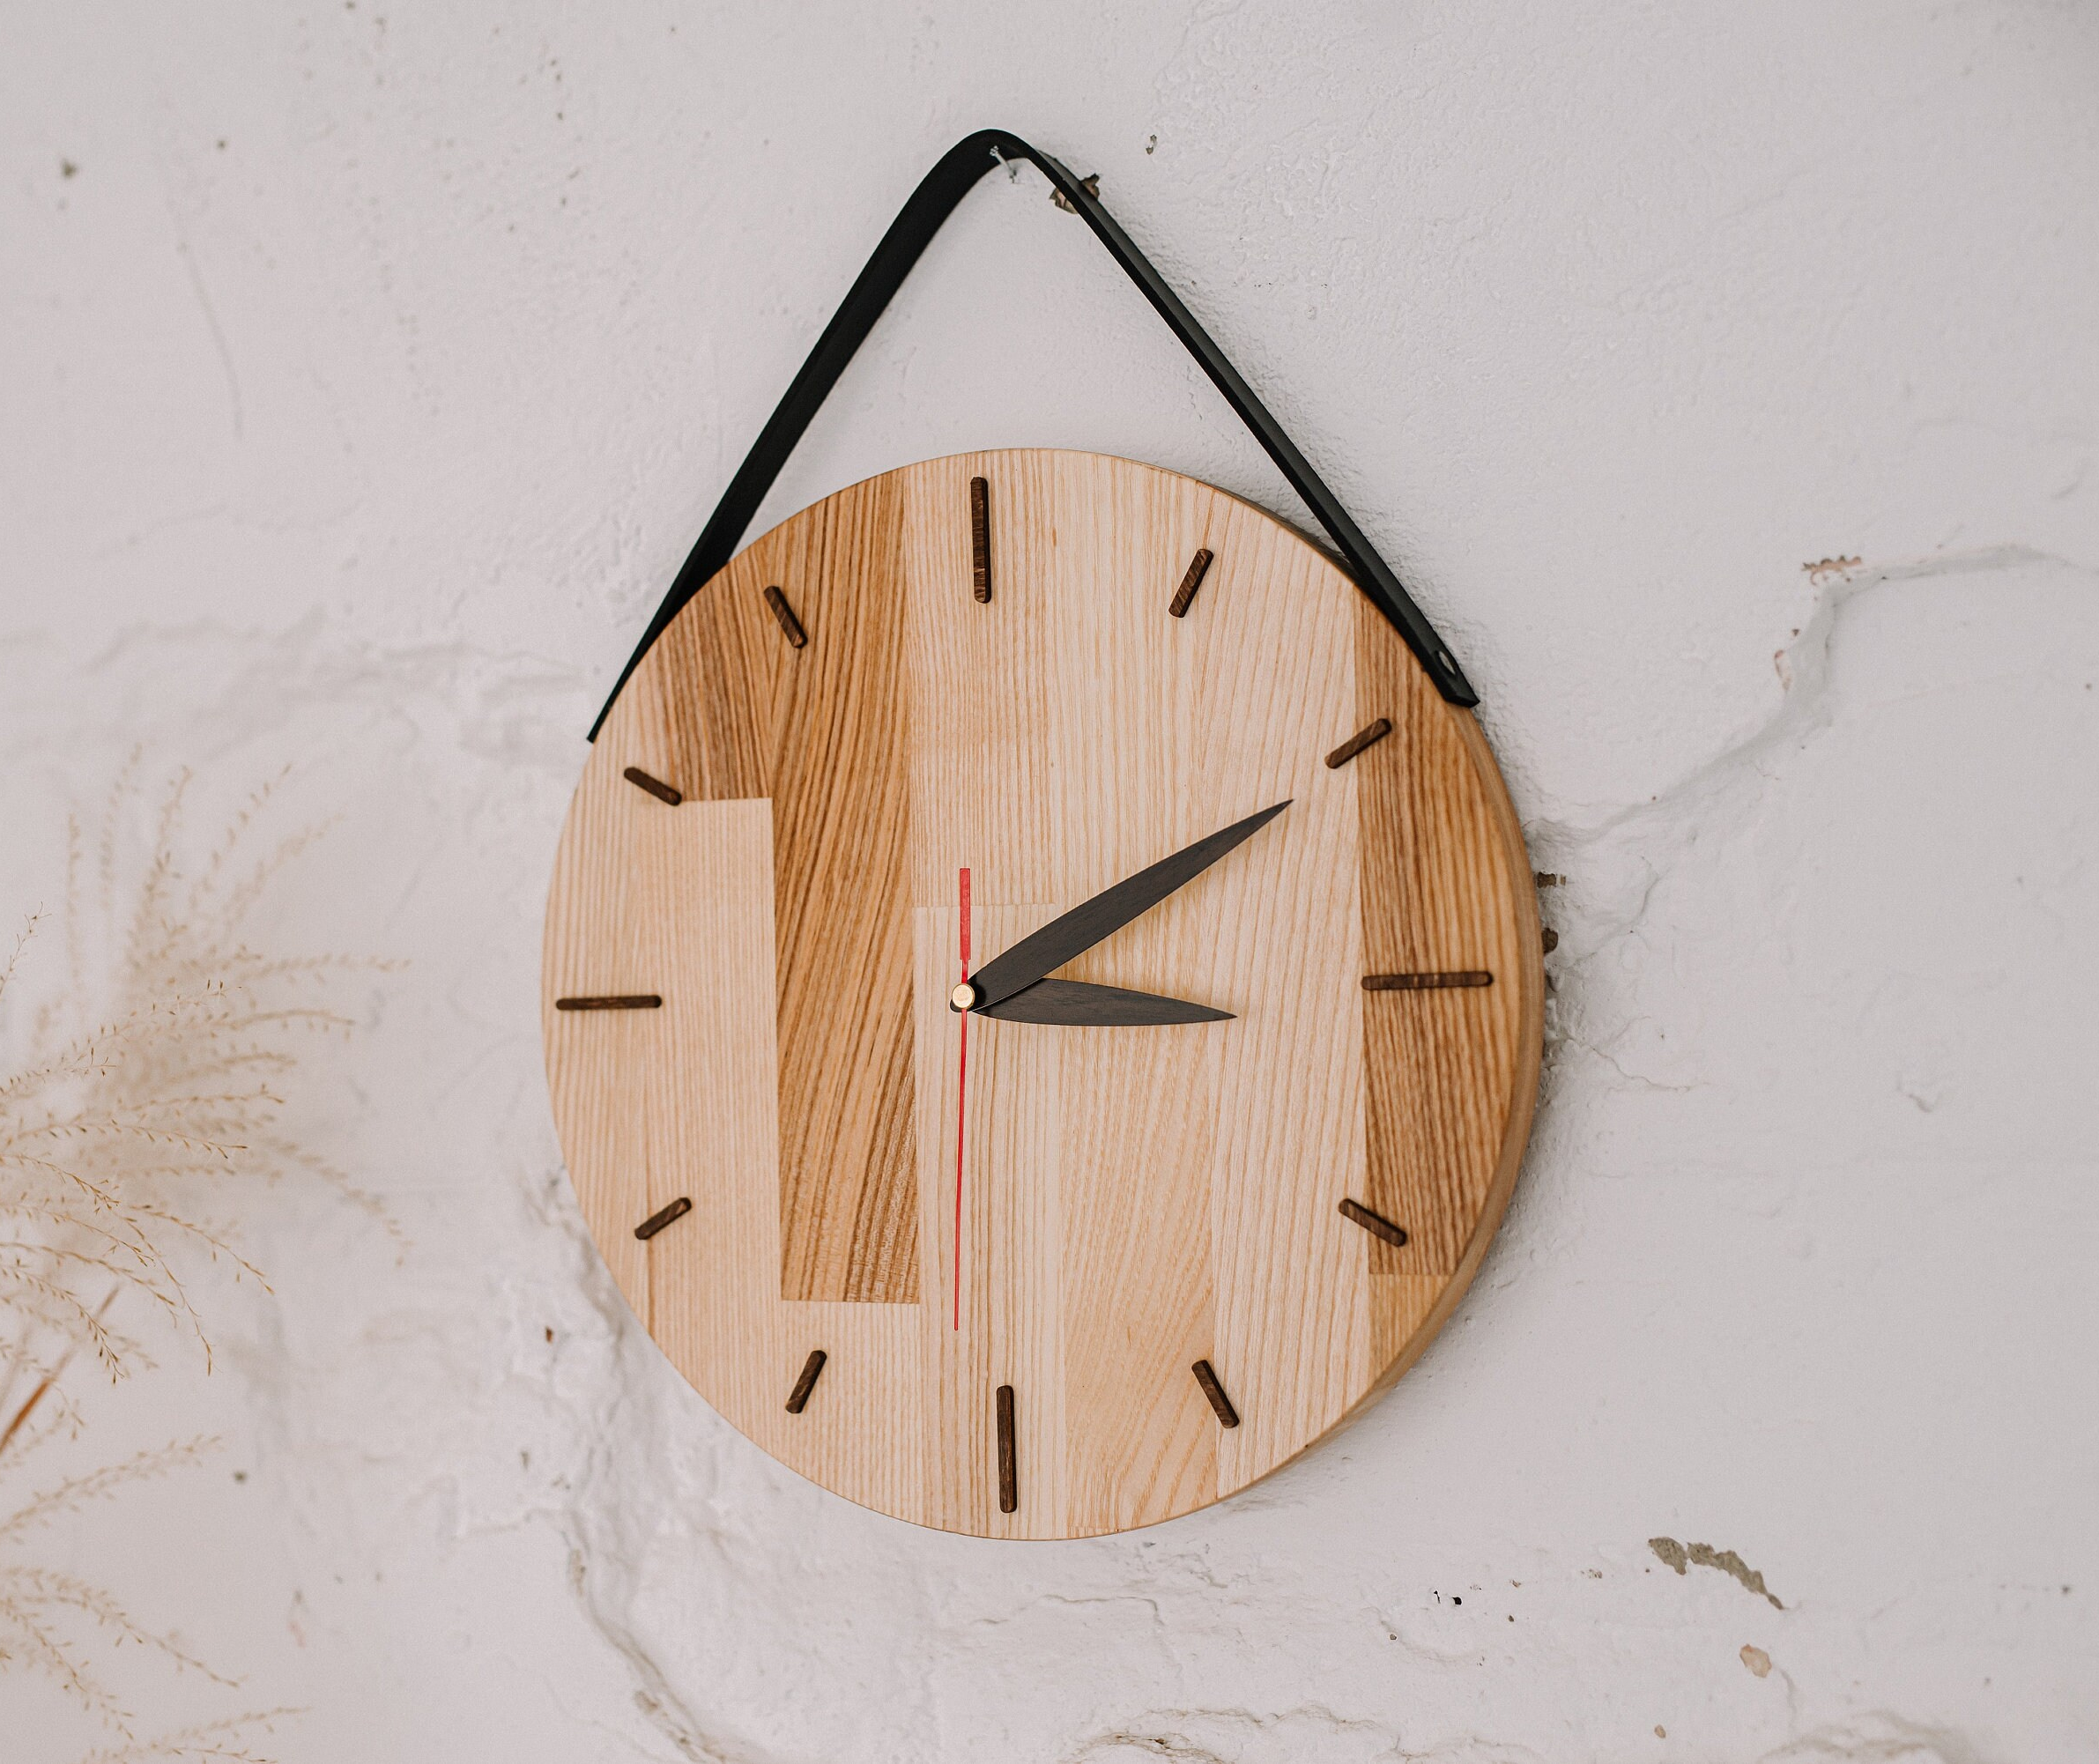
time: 3:10
